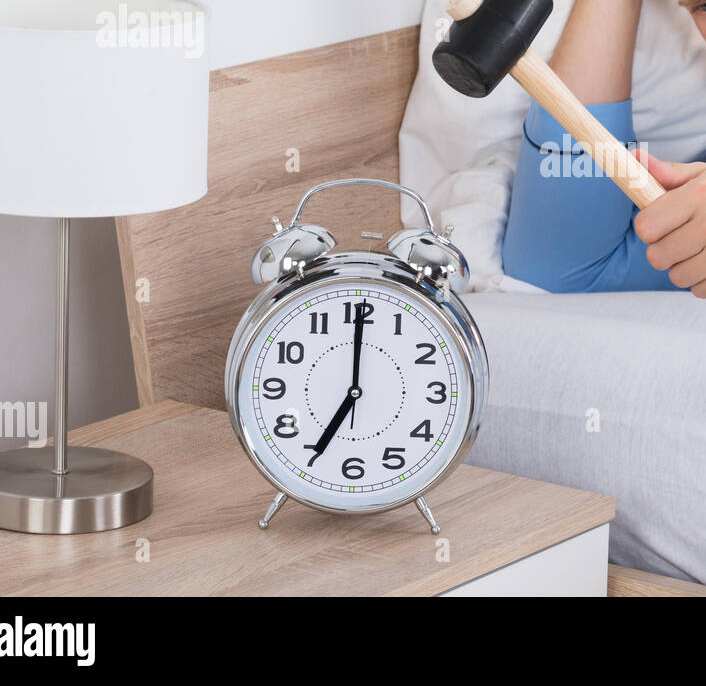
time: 7:00
